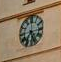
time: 7:25
